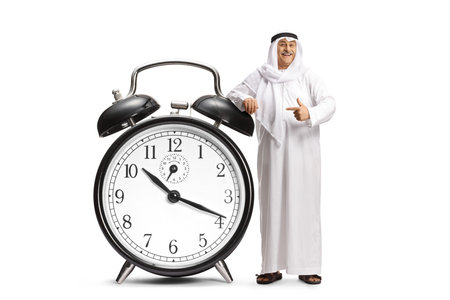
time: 10:18
